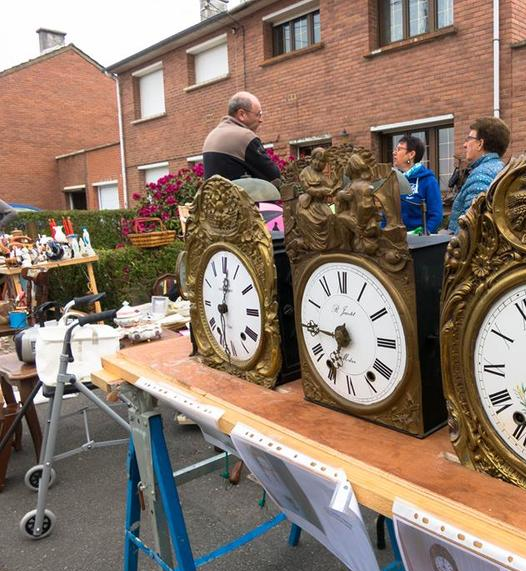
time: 12:28
